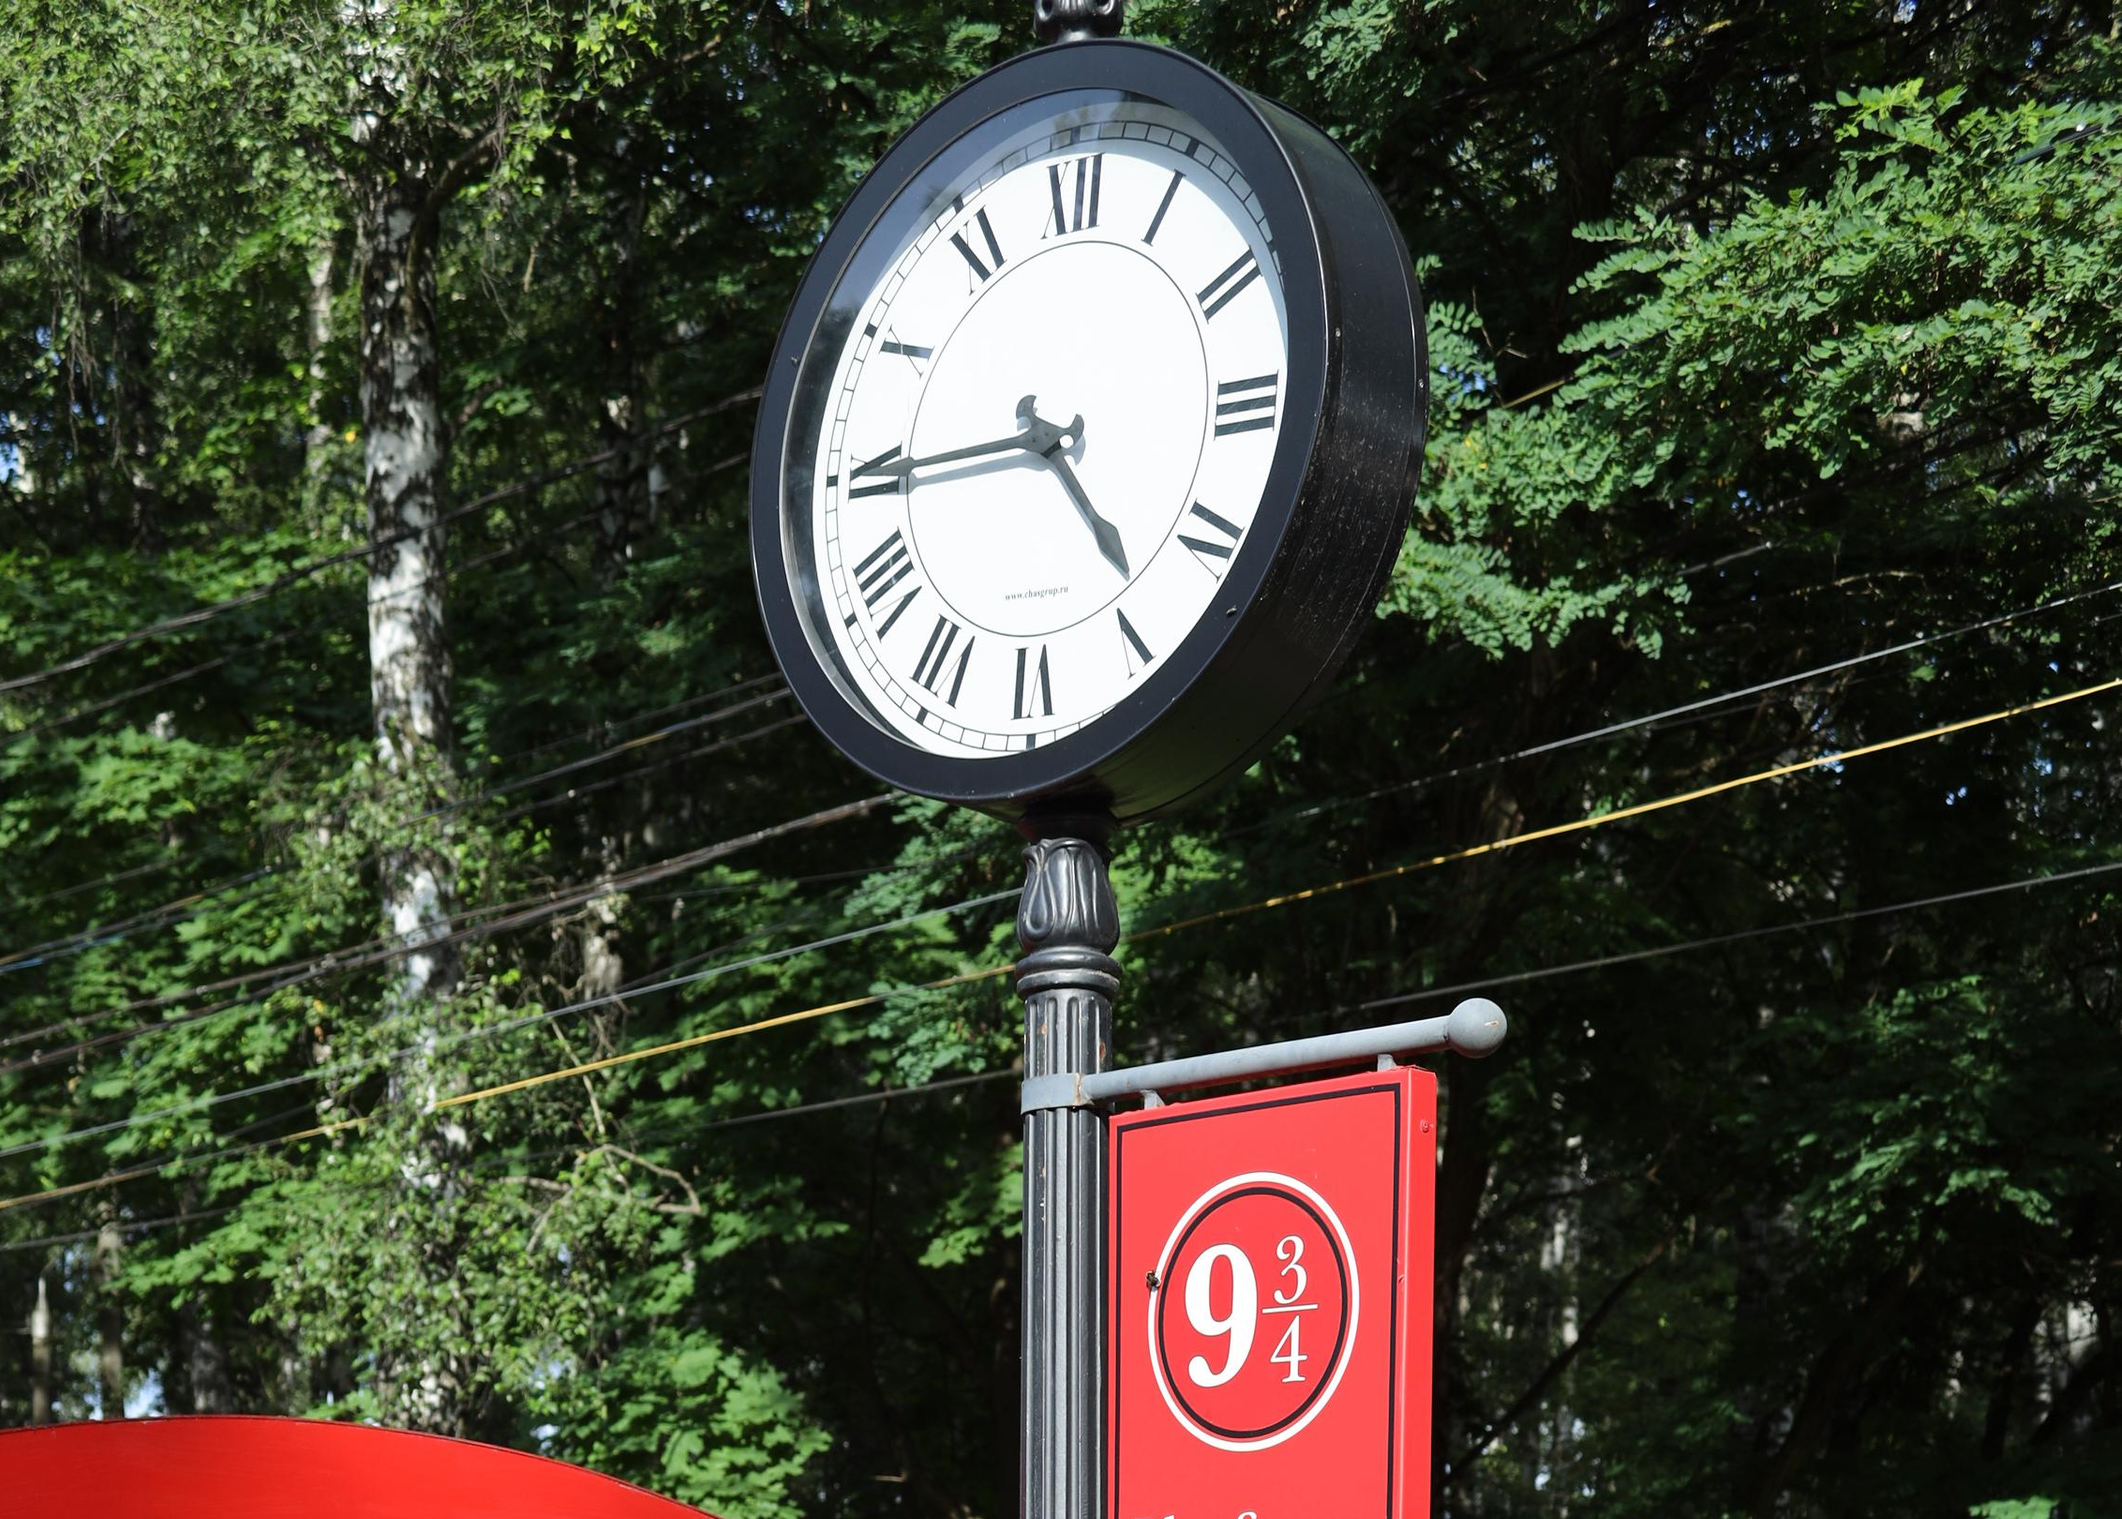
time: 4:44
